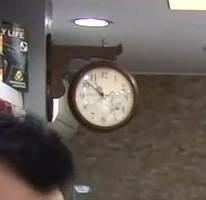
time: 10:51
